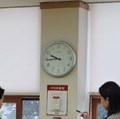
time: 9:44
